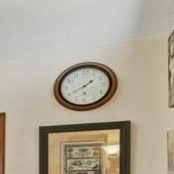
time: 1:40
